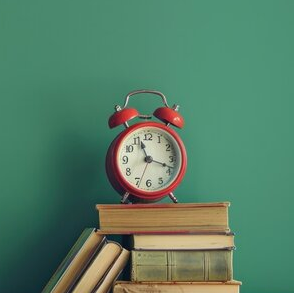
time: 11:18
